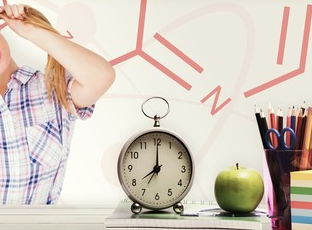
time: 8:00
